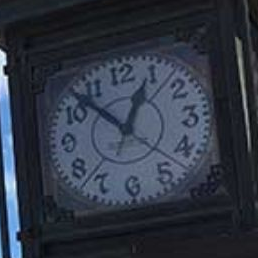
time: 12:52
